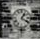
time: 1:18
